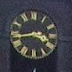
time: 3:43
